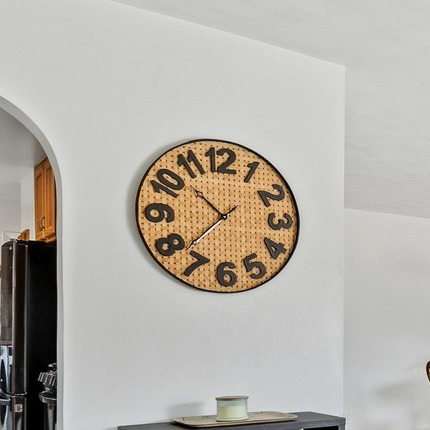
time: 10:37
